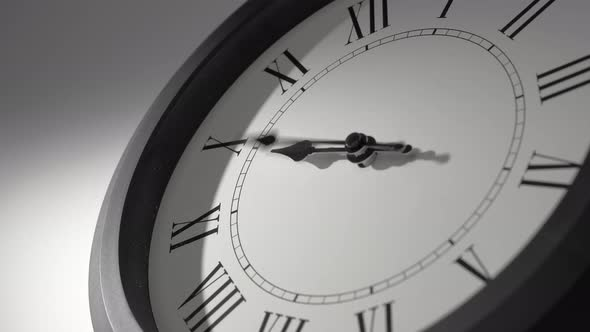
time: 8:45
